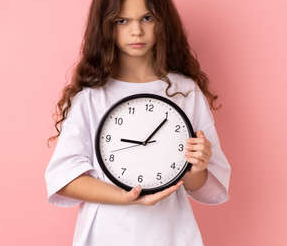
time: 9:06
